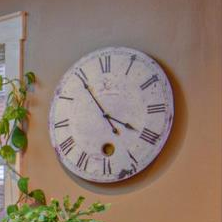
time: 3:54
